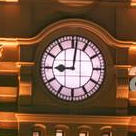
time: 9:01
